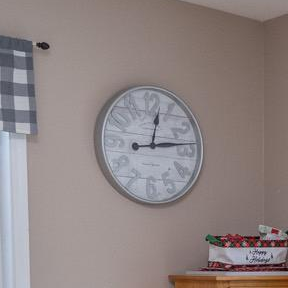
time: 12:13
